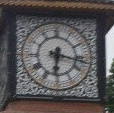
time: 6:17
